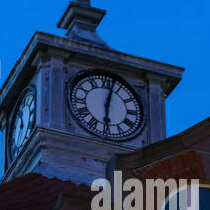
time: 6:02
